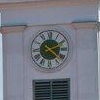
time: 2:21
